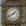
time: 1:40
